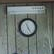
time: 11:25
